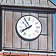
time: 7:54
